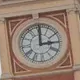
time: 3:00
